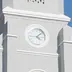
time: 4:07
